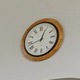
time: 12:43
